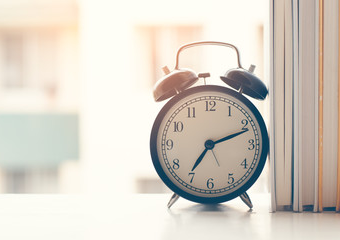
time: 7:11
